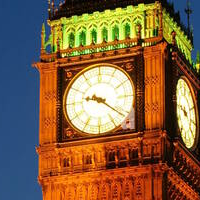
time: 9:21
